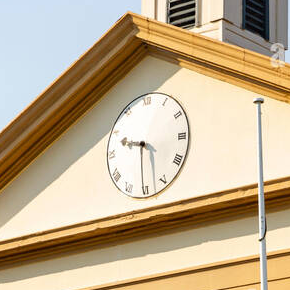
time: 9:30
